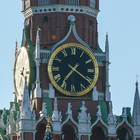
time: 7:20
